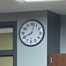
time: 8:02
